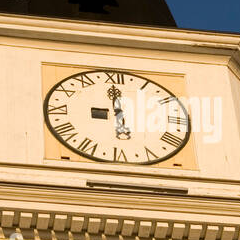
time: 8:59
